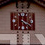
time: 4:19
